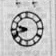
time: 9:41
